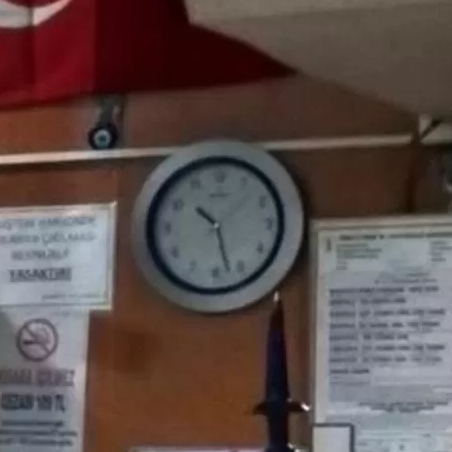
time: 10:27
